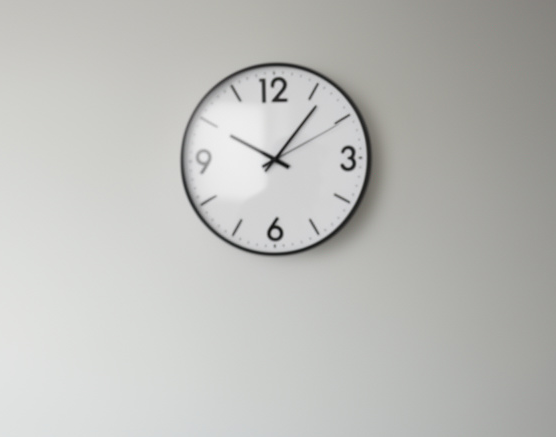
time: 10:06
